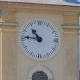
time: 10:46
